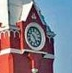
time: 10:25
